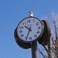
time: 10:34
